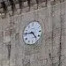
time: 4:45
